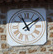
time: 11:08
